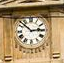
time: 2:52
